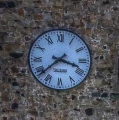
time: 3:38
